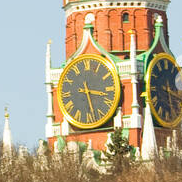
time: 3:27
